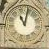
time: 11:02
